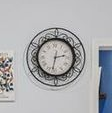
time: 2:32
